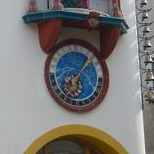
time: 7:07
